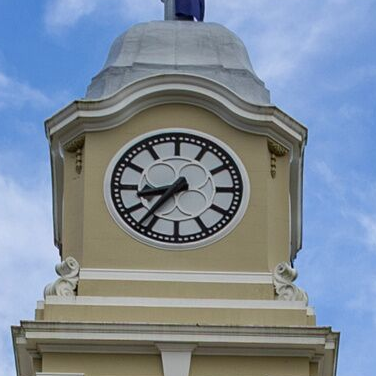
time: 8:36
